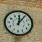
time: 12:05
